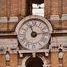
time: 11:13
